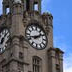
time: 1:42
